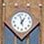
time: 12:57
